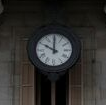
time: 10:00
